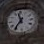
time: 11:36
